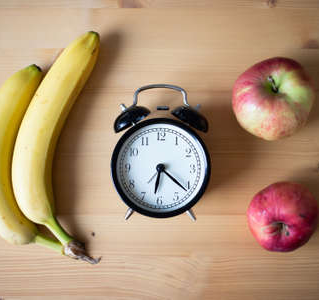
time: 6:21
